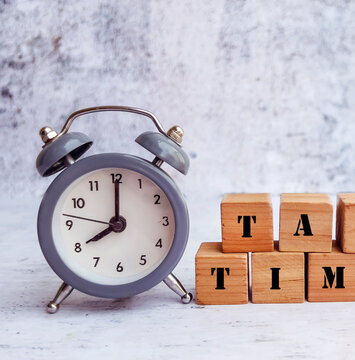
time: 8:00
